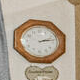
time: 2:13
